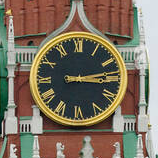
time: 3:13
